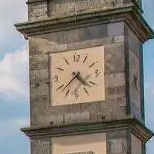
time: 4:37
